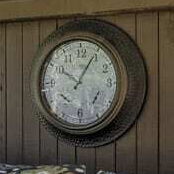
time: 10:04
